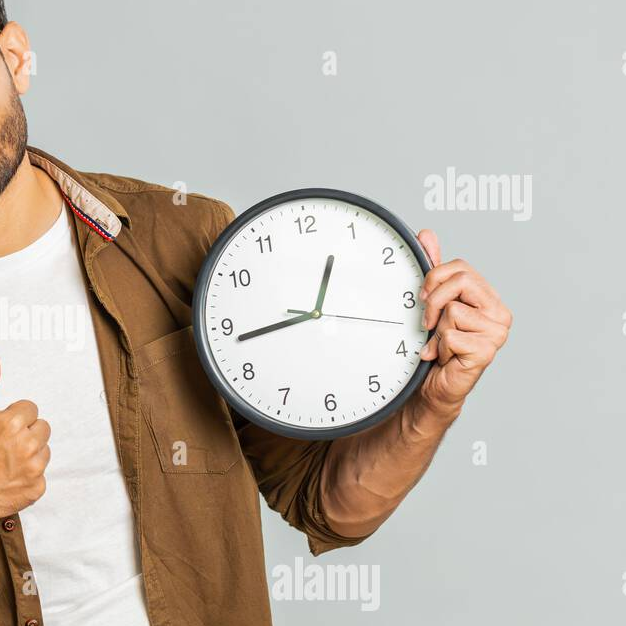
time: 12:43
